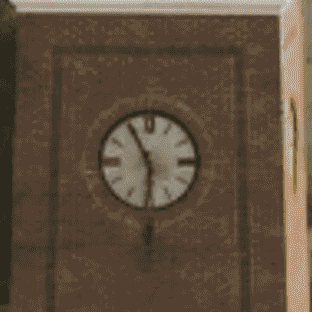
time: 5:55
